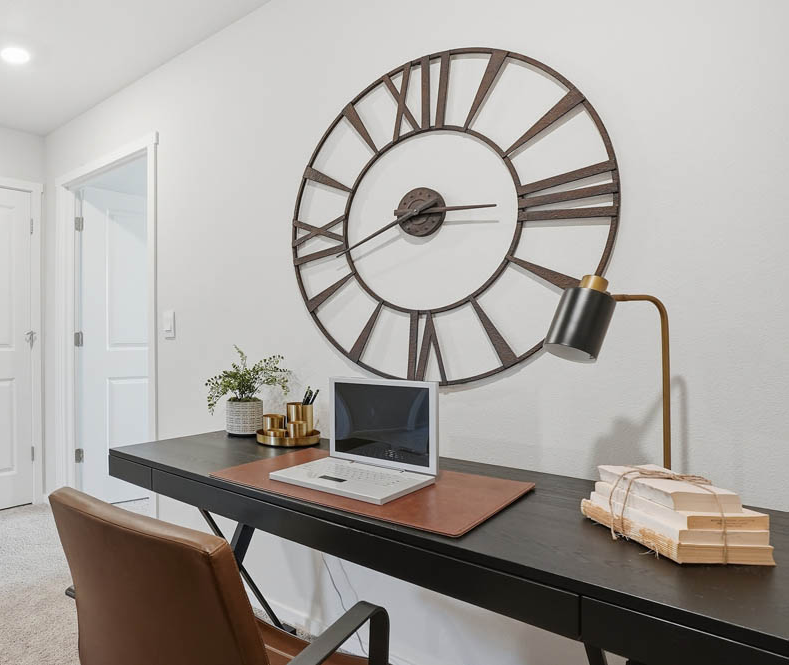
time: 8:15
